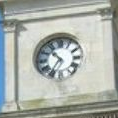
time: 10:35
